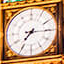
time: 7:15
